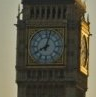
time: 8:02
